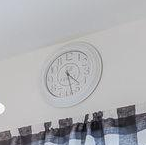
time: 4:27
